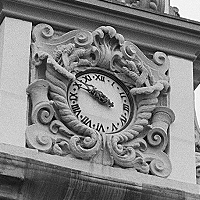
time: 9:48
